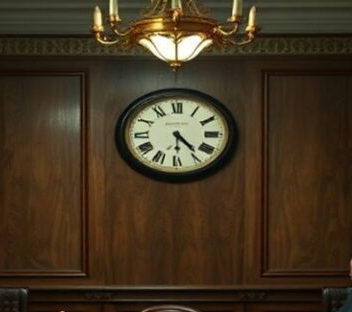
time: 4:30
